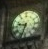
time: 9:33
